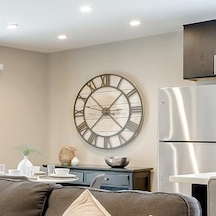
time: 3:07
